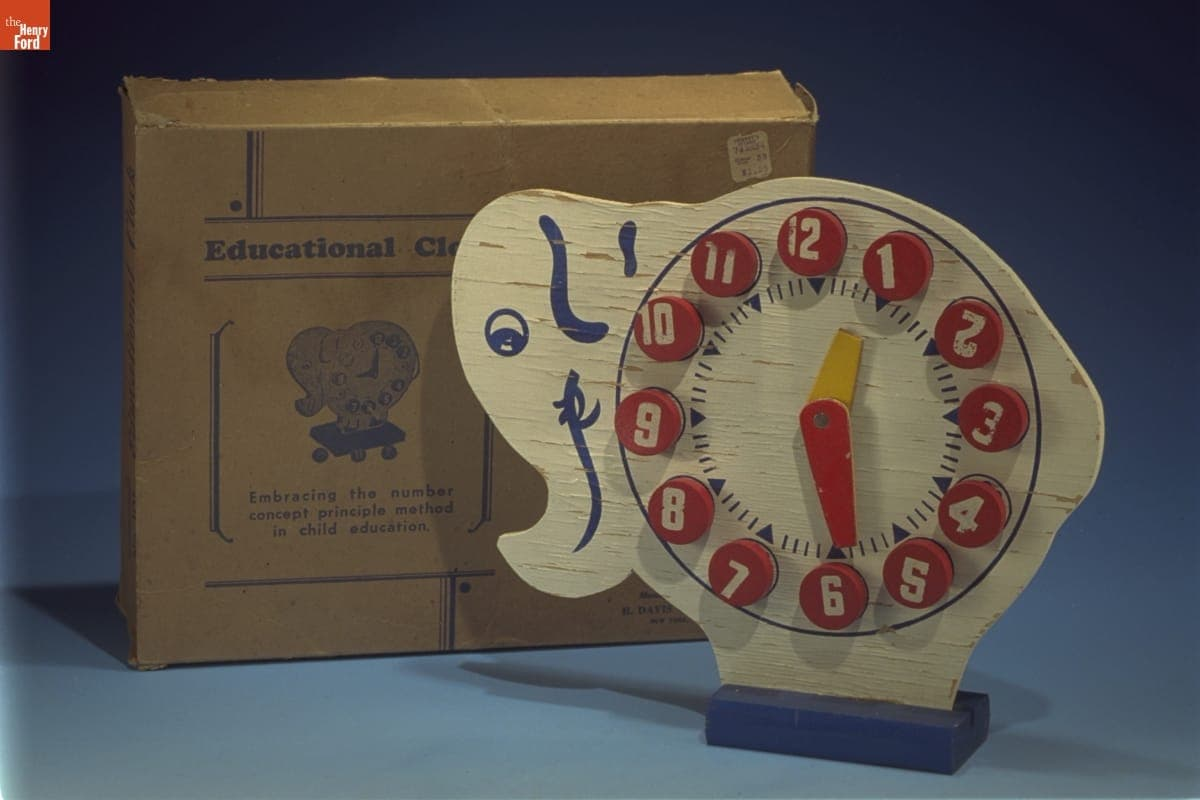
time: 12:28
